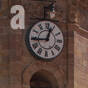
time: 12:44
